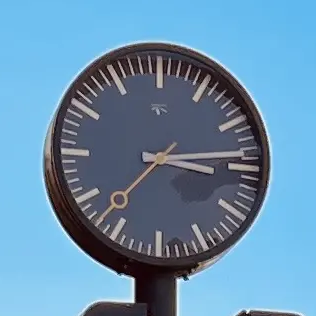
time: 3:13
